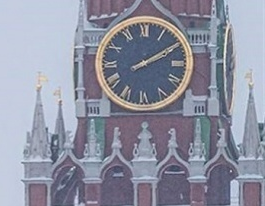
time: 2:09
